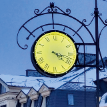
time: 4:17
